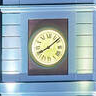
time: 8:08
